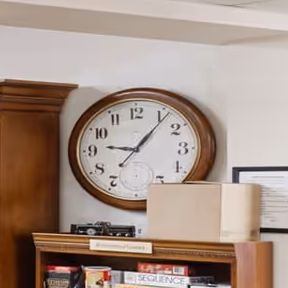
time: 9:06
